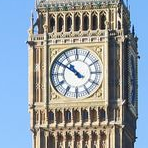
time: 10:50
